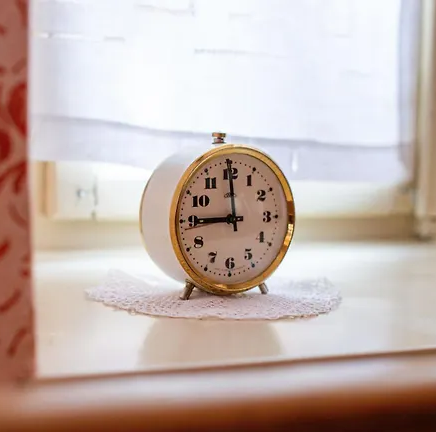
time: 8:59
